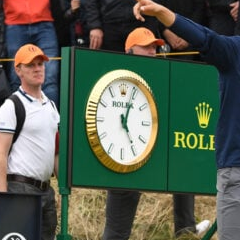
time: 5:03
